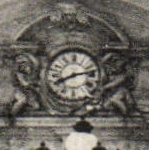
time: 8:12
